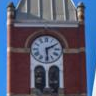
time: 2:29
